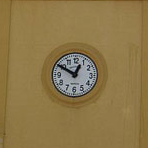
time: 12:49
